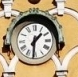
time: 1:31
